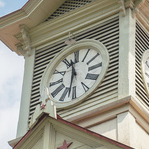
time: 11:32
